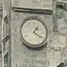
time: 1:20
